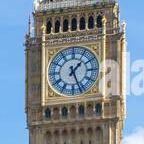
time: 1:26
